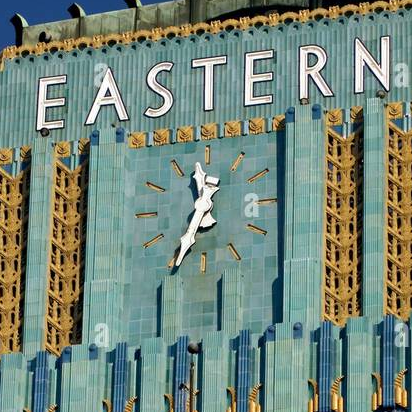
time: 11:34
